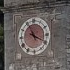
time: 11:19
